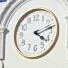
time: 4:12
